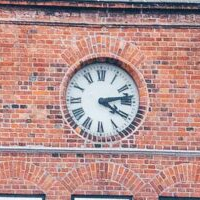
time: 4:13
